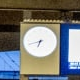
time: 6:41
